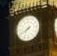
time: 7:40
